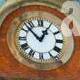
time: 12:52
